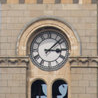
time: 3:08
